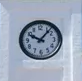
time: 10:06
